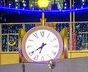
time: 6:39
